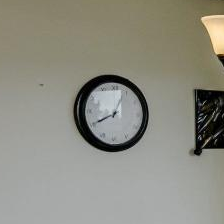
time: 12:40
